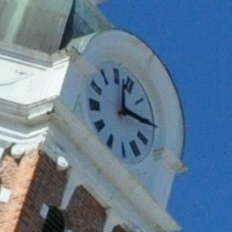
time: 3:02
